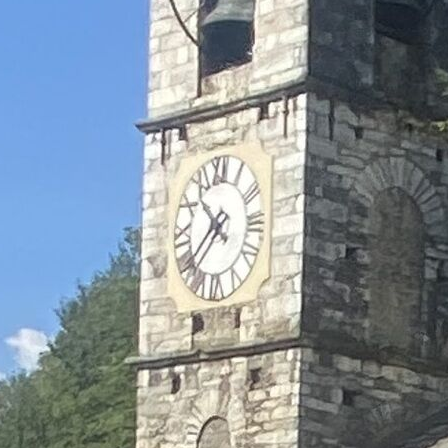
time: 10:37
